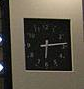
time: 6:13
